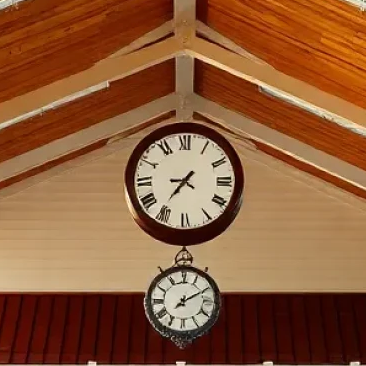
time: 7:36
